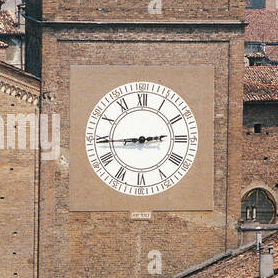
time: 2:44
